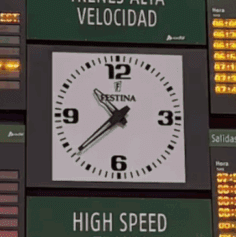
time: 10:37
